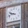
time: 9:42
